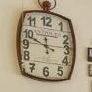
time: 11:48
